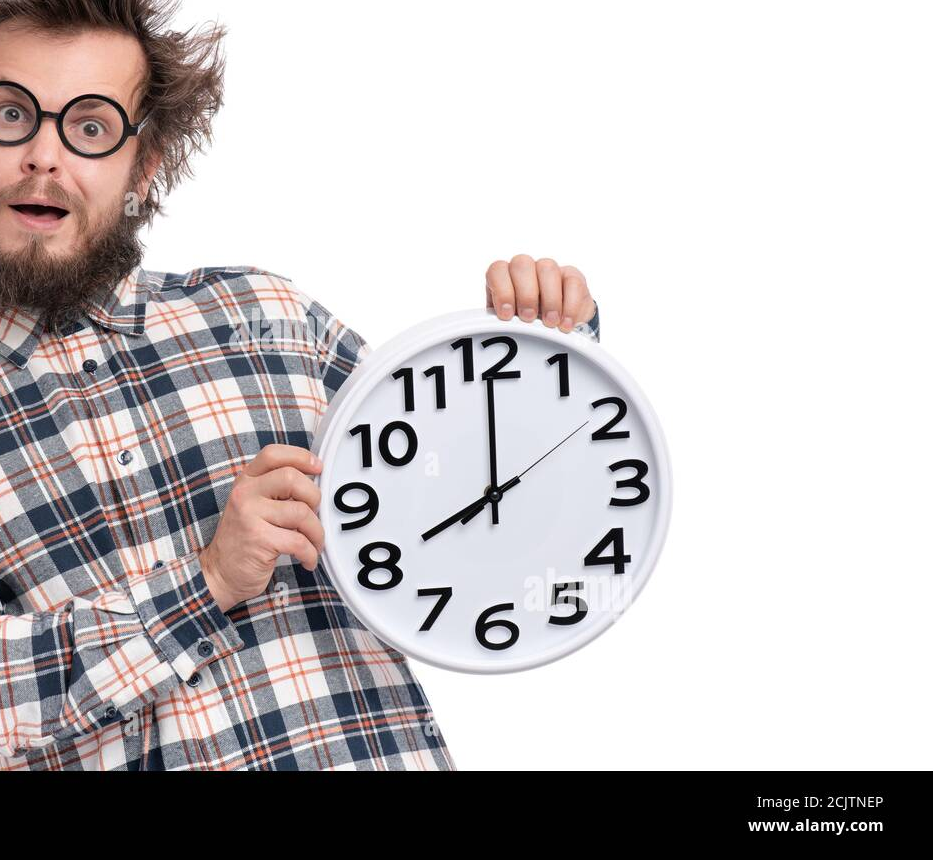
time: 7:59
